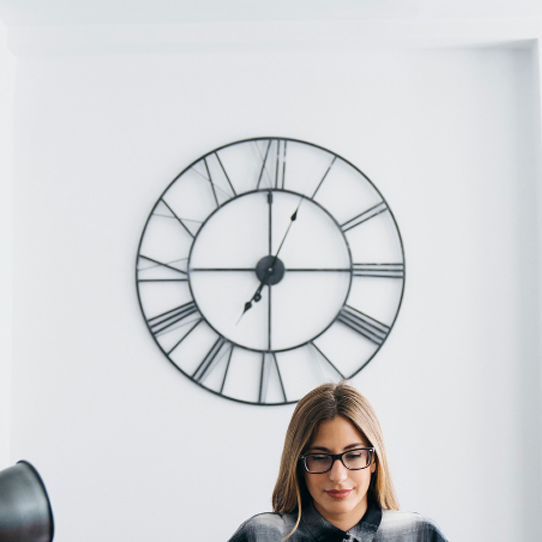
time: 7:00
